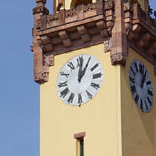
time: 1:01
